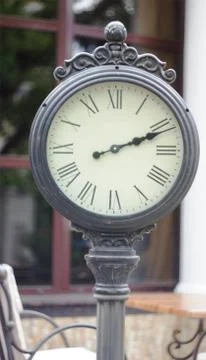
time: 2:11
